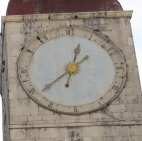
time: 12:38
